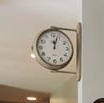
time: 12:02
